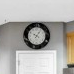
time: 10:05
